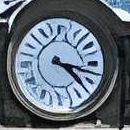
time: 4:17
